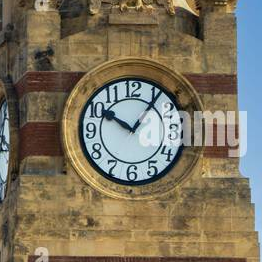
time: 10:06
